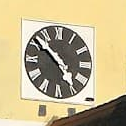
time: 4:51
